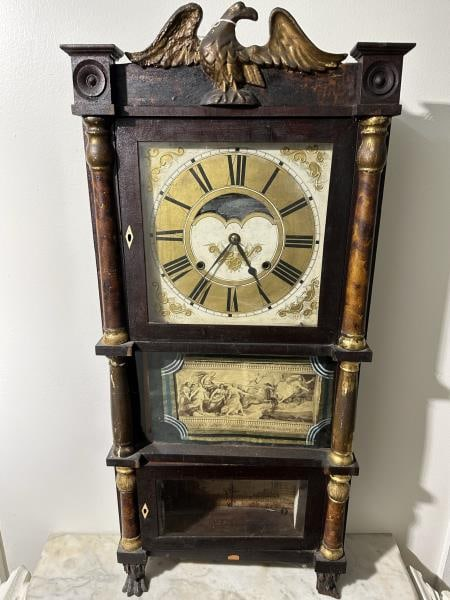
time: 7:24
